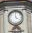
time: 3:58
